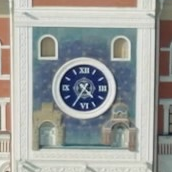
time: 4:35
